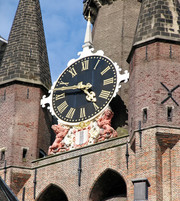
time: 4:46
